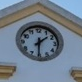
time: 1:30
